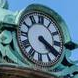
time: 4:19
